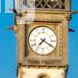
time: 7:20
